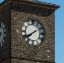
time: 7:39
